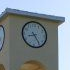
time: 8:24
